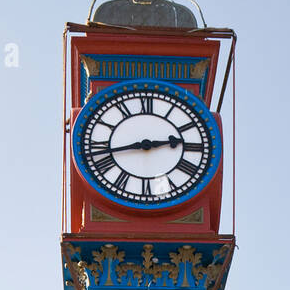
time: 2:42
